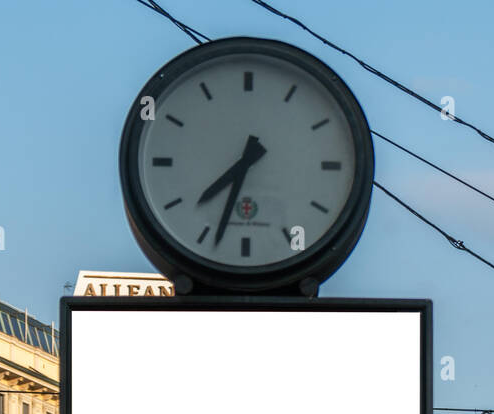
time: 7:33
